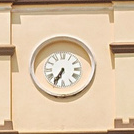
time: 6:34
